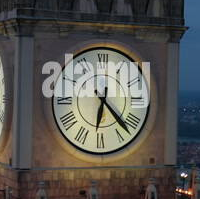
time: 6:22
